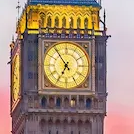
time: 6:54
